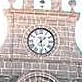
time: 1:28
